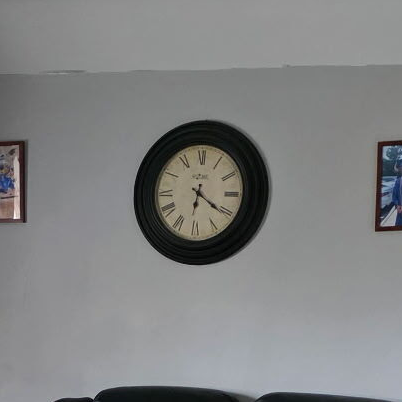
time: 6:20
